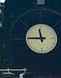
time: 11:45
